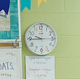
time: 9:44
